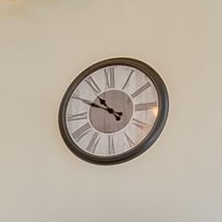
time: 10:49
